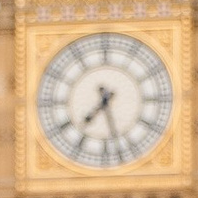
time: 7:27
